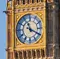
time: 11:19
